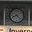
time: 8:21
